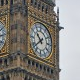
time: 10:38
